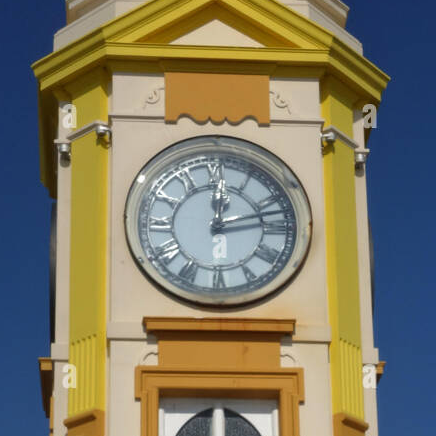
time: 12:12
